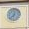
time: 12:37
